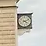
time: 4:10
